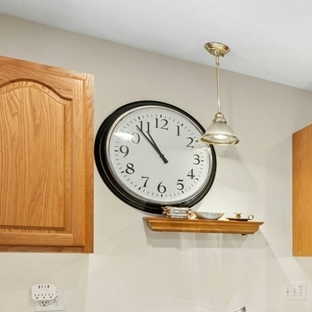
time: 10:53
